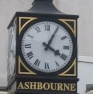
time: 4:04
